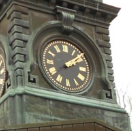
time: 2:09
